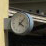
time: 4:07
